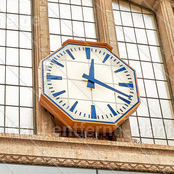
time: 12:18
